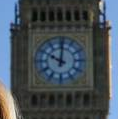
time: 10:00
